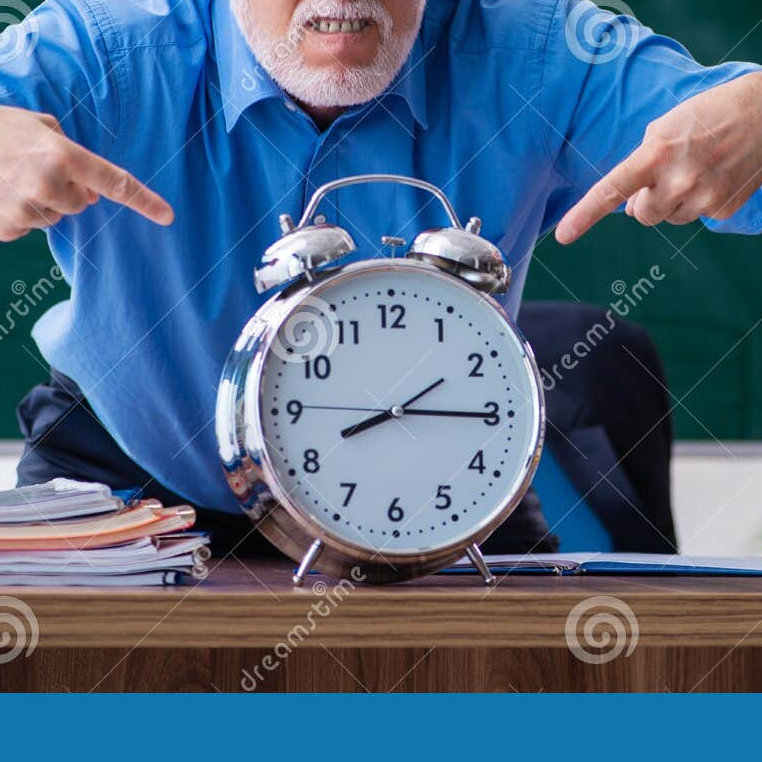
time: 8:15
